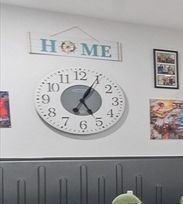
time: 5:05
